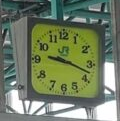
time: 9:17
